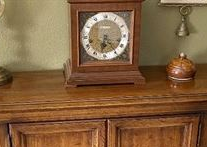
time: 6:23
